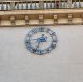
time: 8:33
